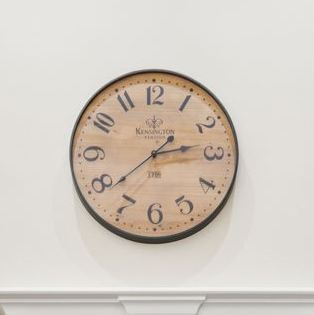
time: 2:38
